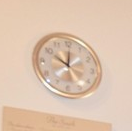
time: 10:00
